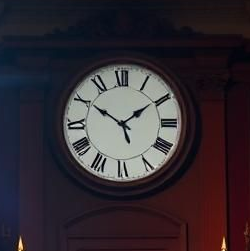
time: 1:50
